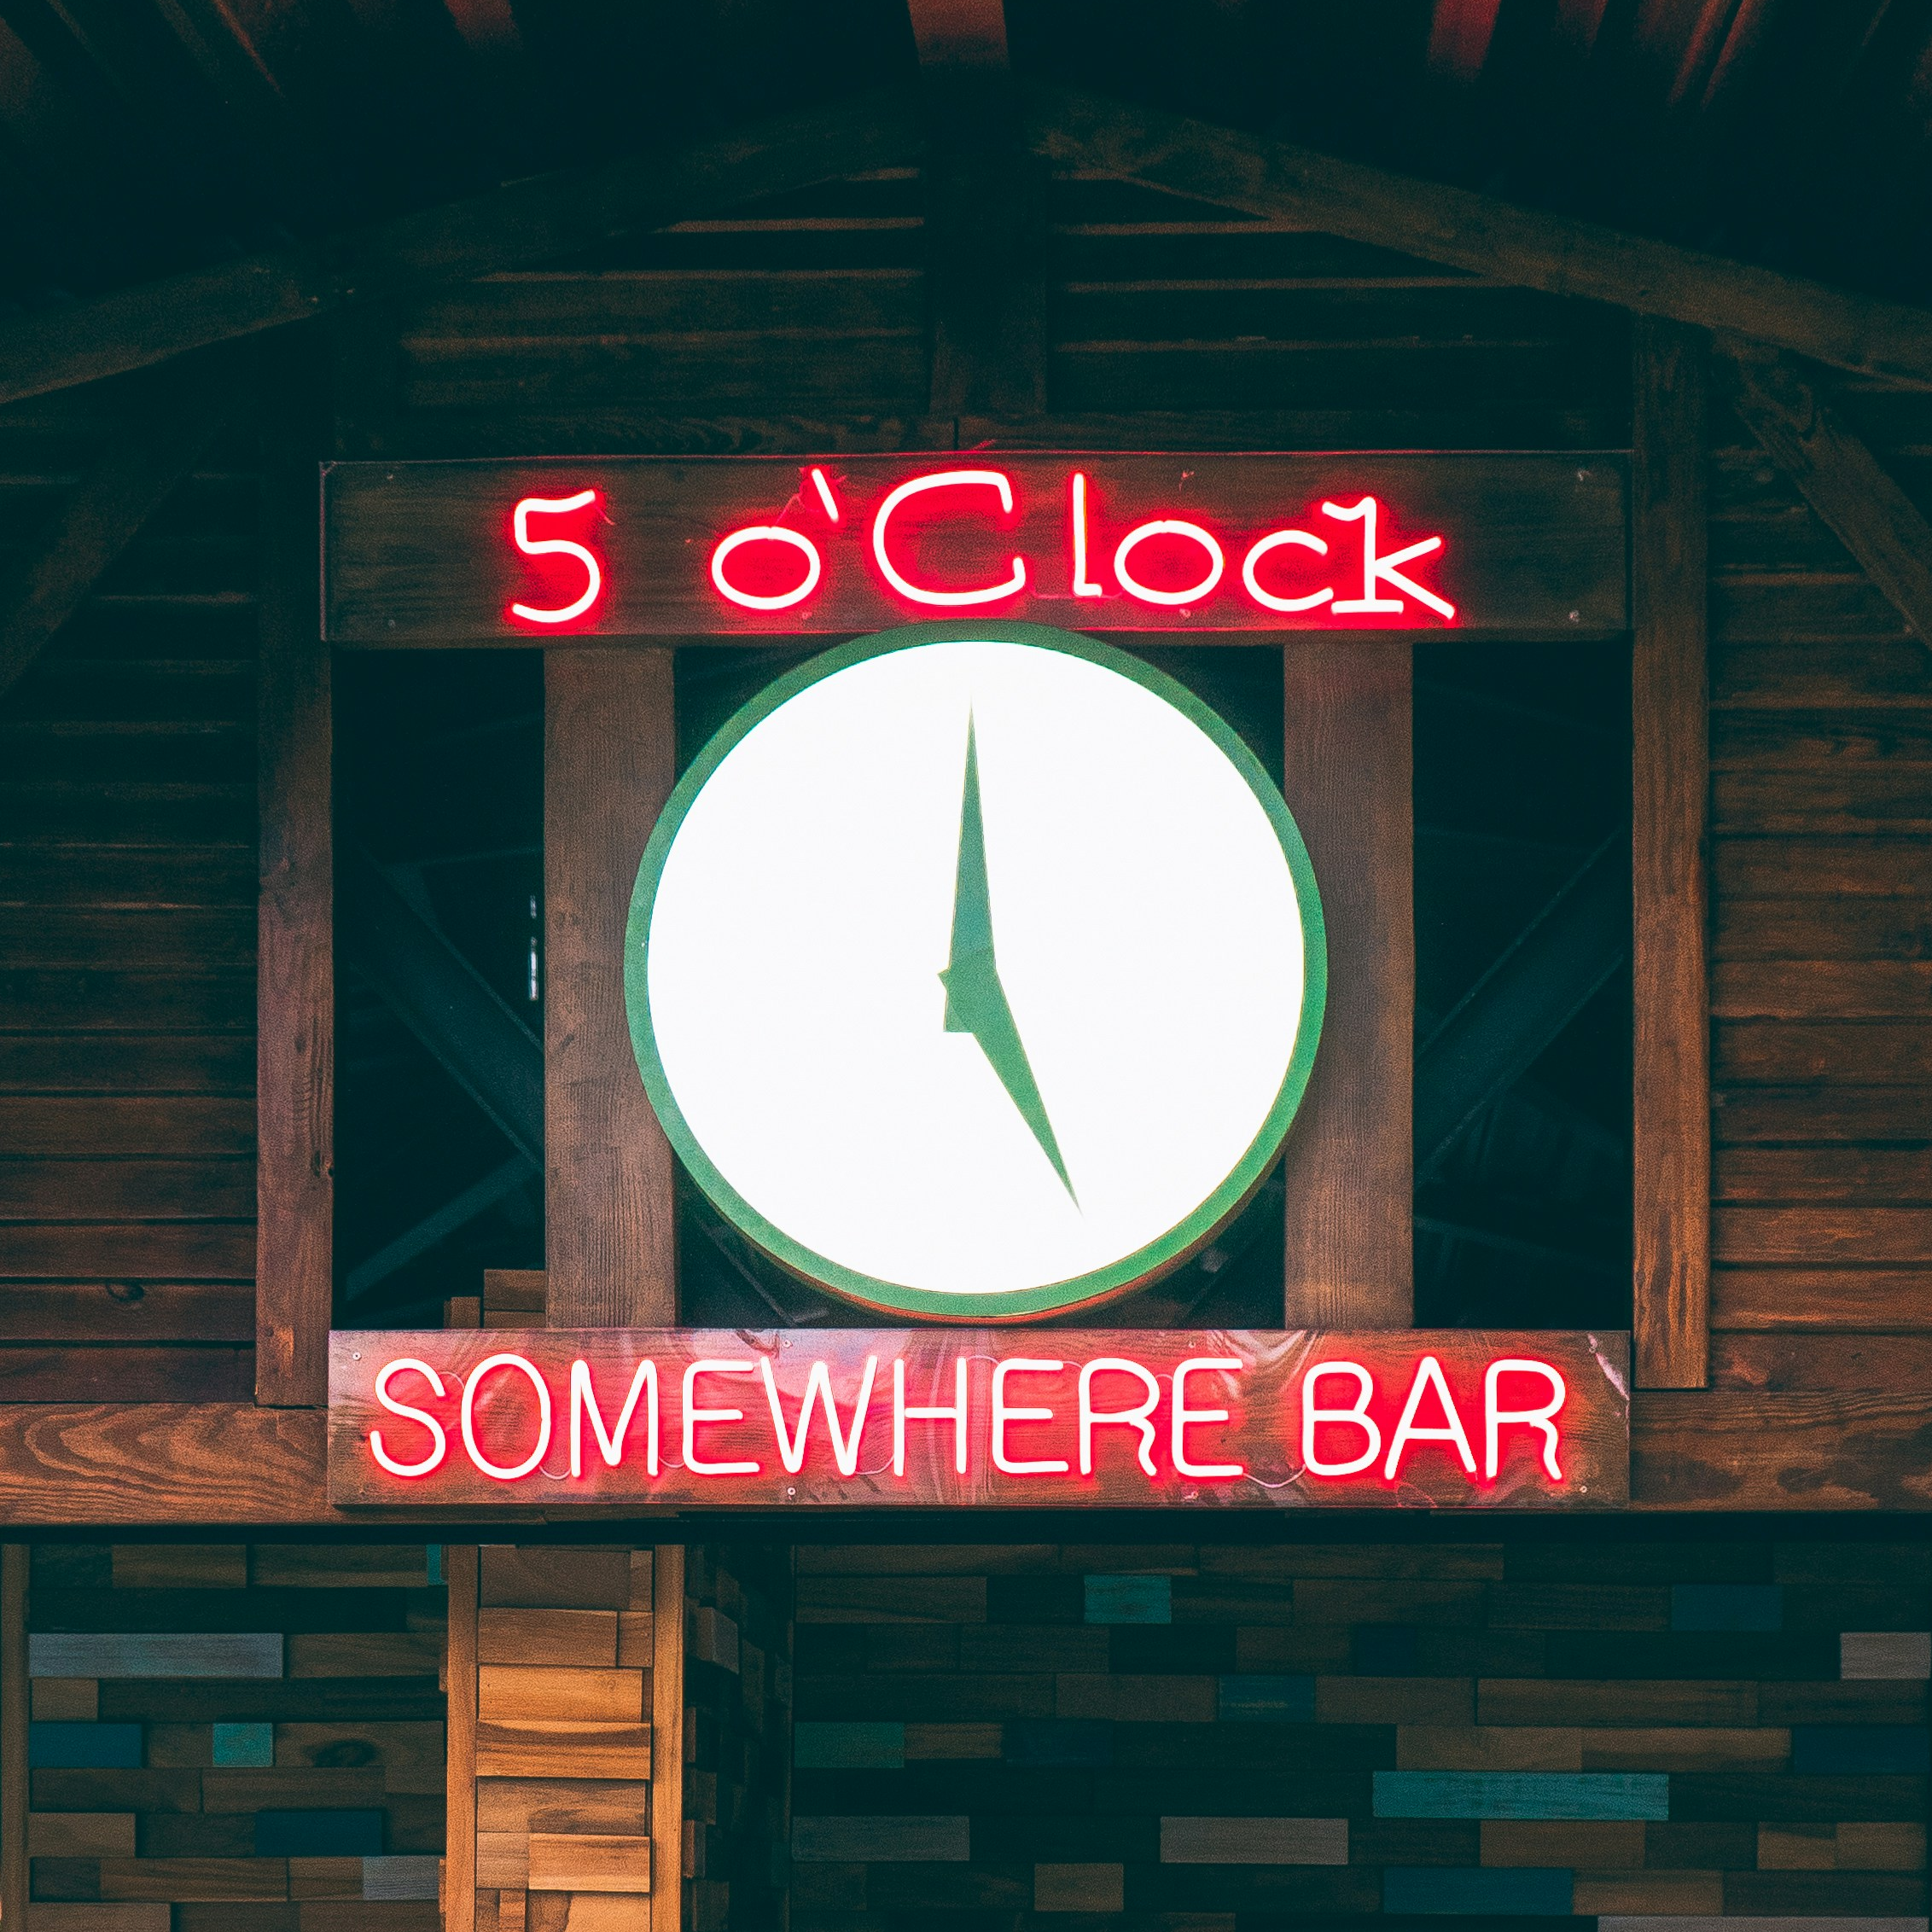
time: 4:59
